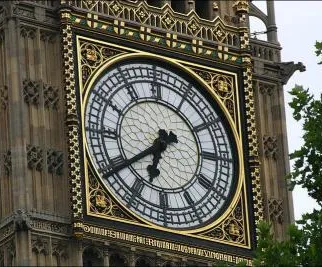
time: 6:39
